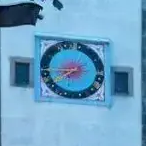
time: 7:44
